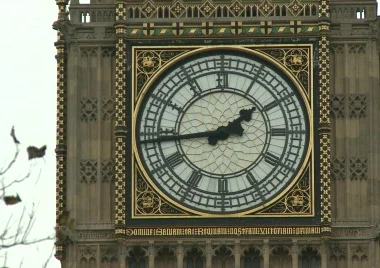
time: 1:43
